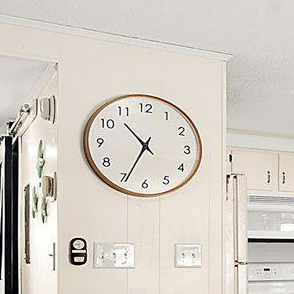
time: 10:34
